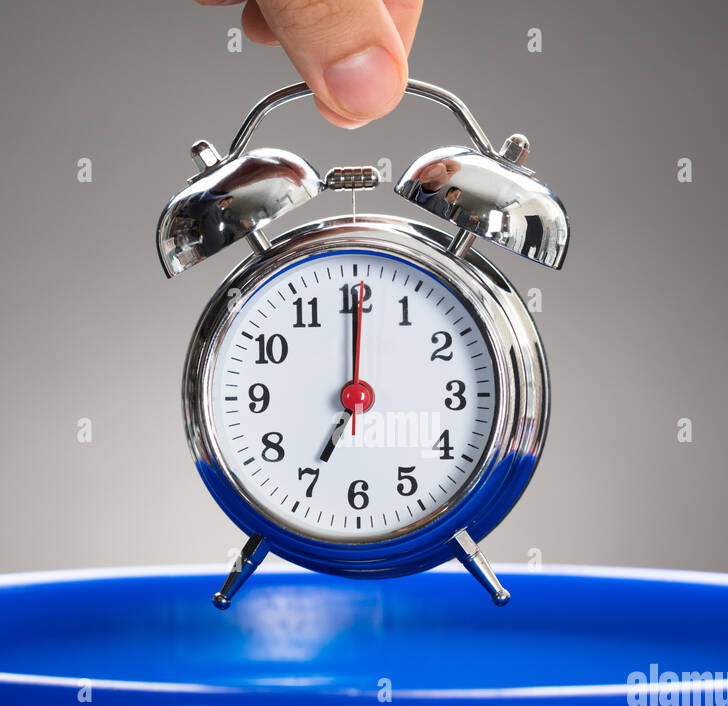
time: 7:00
